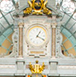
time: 1:18
